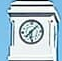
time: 6:07
